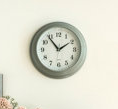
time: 1:53
